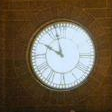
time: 9:57
